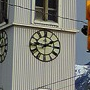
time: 1:46
